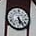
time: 5:23
